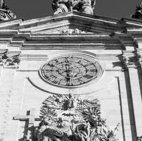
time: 5:59
